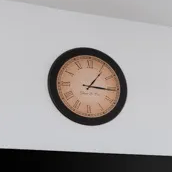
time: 1:15
